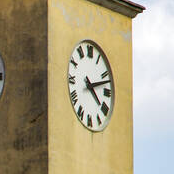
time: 4:12
